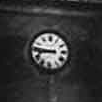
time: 8:46
